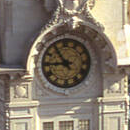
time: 8:53
